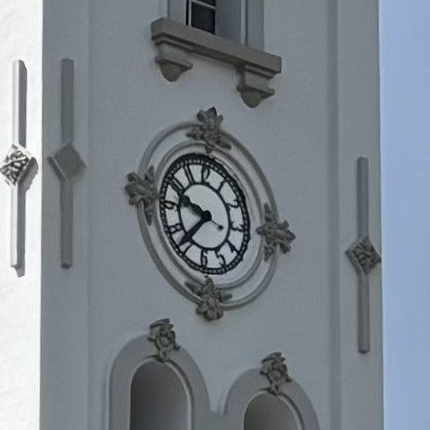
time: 9:36
